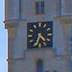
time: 4:33
